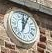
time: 12:04
